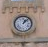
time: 1:07
